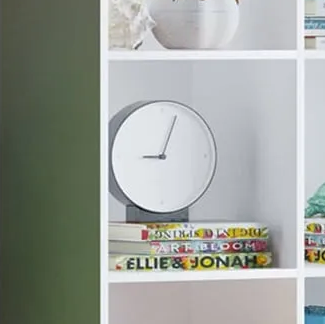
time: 9:03
